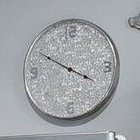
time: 3:49
